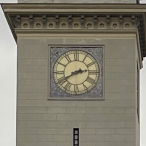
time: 2:40
